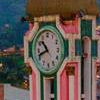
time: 10:41
